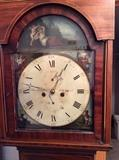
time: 9:04
